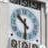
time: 10:30
